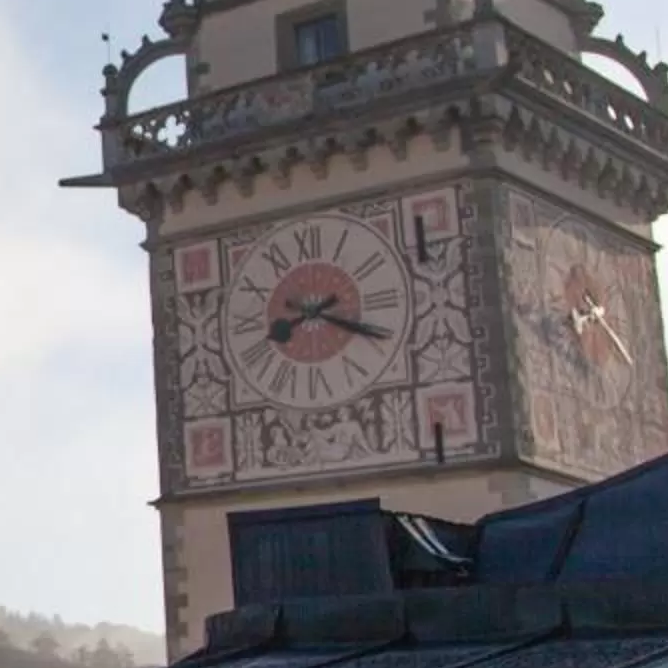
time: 8:19
